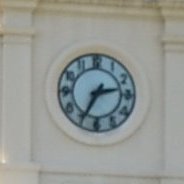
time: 2:34
